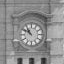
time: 10:50
